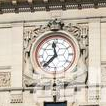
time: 11:37
